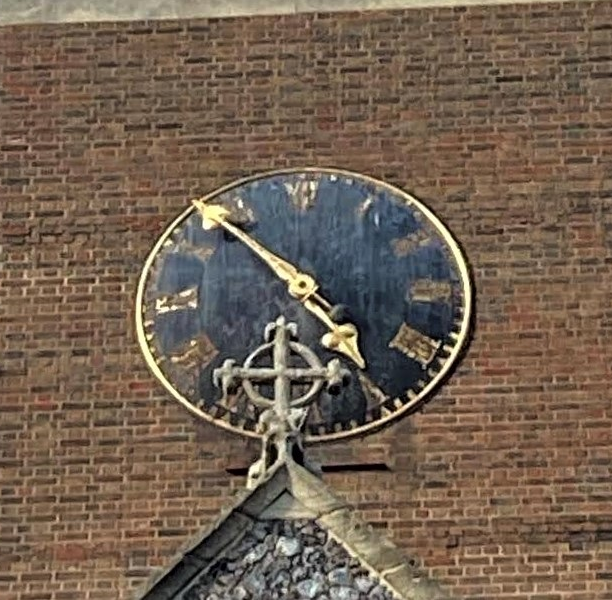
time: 4:52
